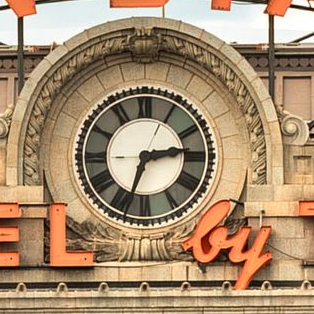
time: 2:33
